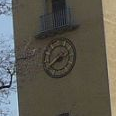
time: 2:40
